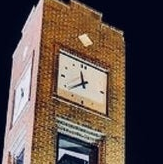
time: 11:38
